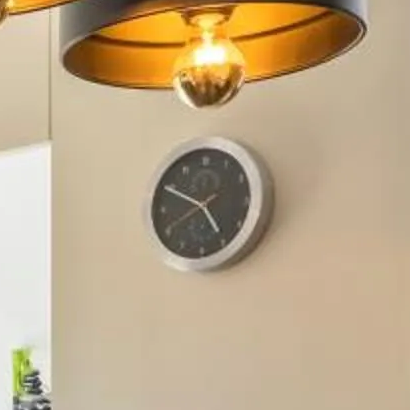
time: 4:50
